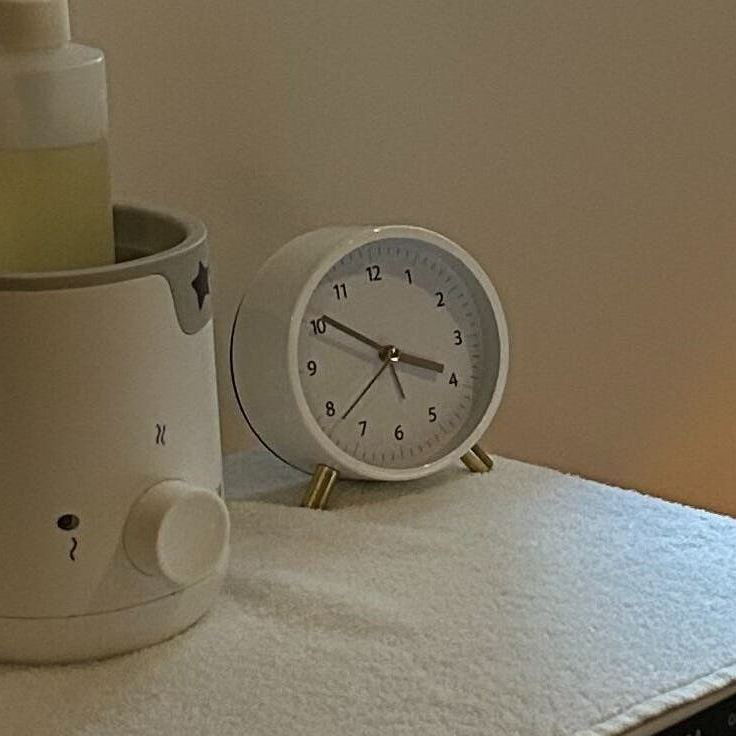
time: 3:50
